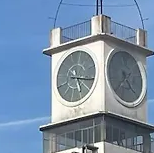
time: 5:15
